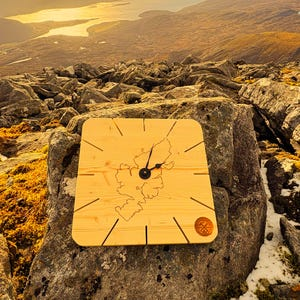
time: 2:02
